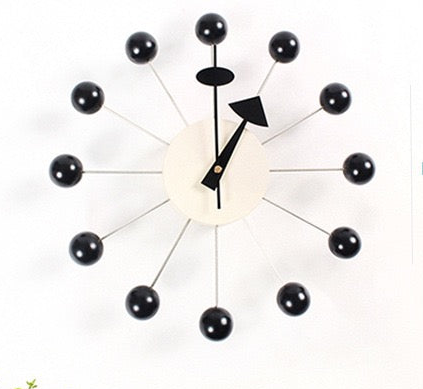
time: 1:00
